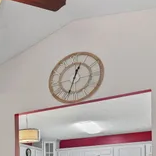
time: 12:33
